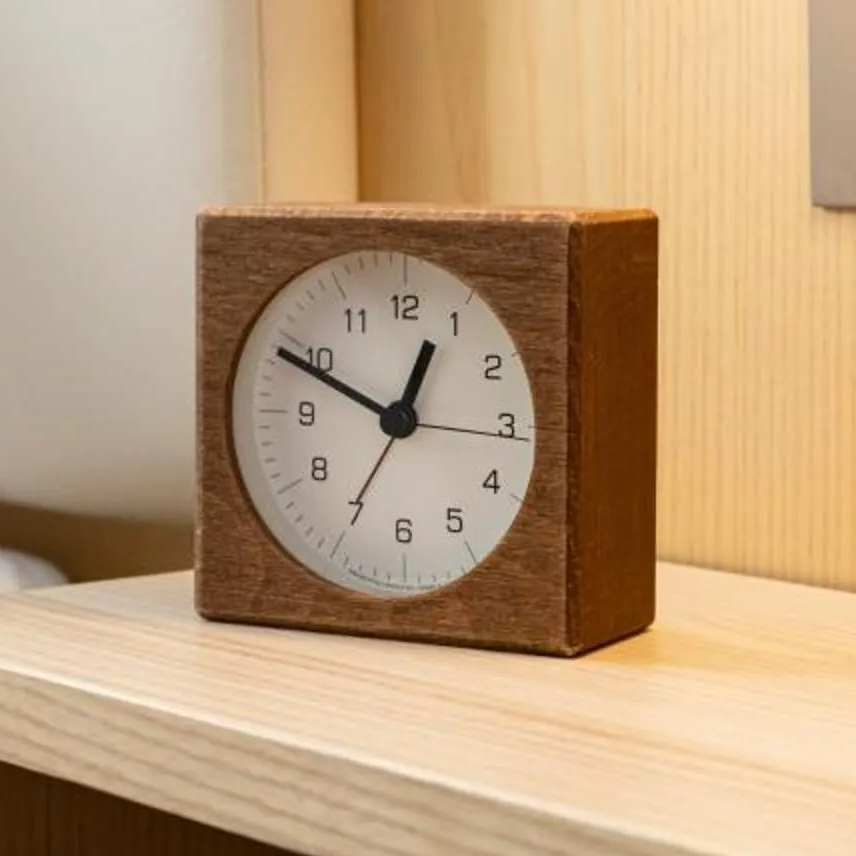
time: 12:49
